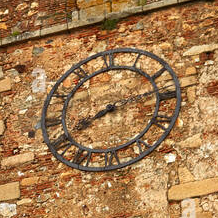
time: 8:12
